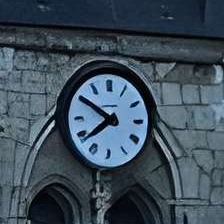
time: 7:50
